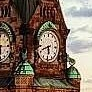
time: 5:41
